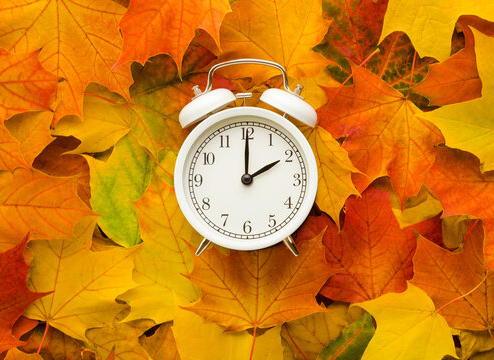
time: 2:00
